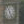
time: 11:25
